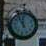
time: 11:55
